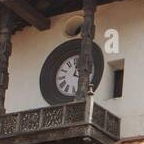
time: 12:28
